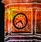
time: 8:23
